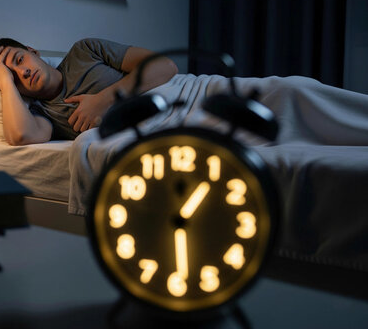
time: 1:28
